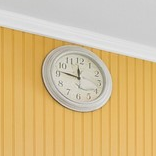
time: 11:46
